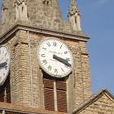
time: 3:18
